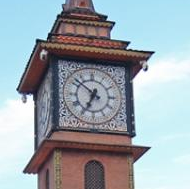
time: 6:52
